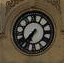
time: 7:34
